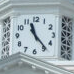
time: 11:23
